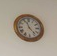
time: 11:23
